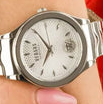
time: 6:55
